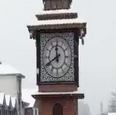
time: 11:40
